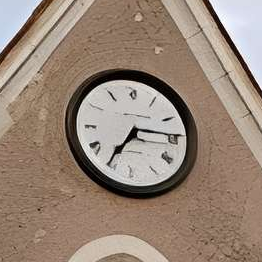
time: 7:14
